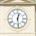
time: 12:28
